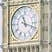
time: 11:18
